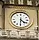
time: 4:30
